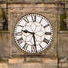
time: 9:28
